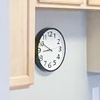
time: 8:49
